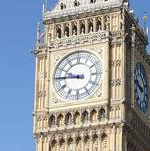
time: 9:45
